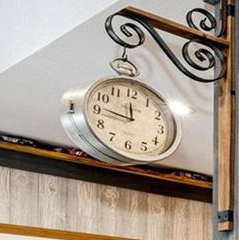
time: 11:46
